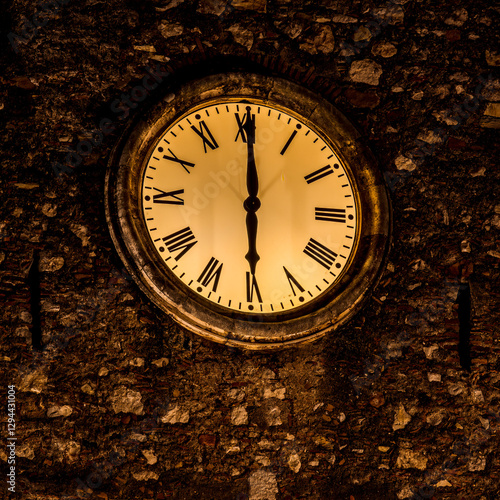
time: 6:00
